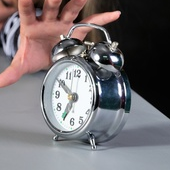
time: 6:50
